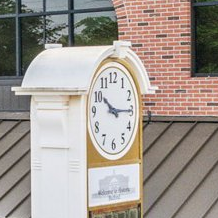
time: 10:14
